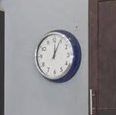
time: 12:04
